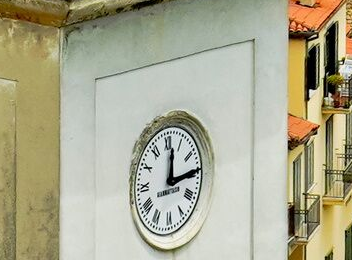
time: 12:14
